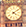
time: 4:09
